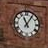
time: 11:05
